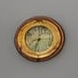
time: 6:32
